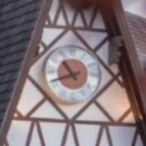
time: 10:41
